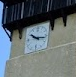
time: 10:16
